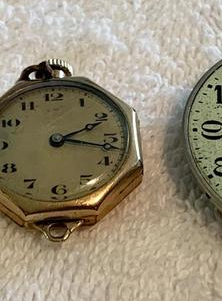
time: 2:17
